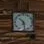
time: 10:28
